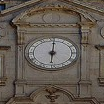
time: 6:00
